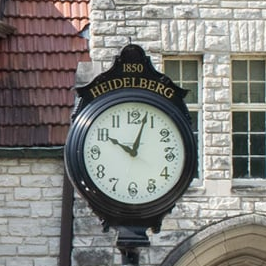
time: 10:03
